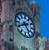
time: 4:40
